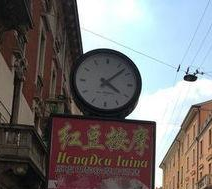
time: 4:07
